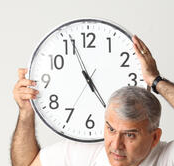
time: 4:56
